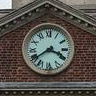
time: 3:39
